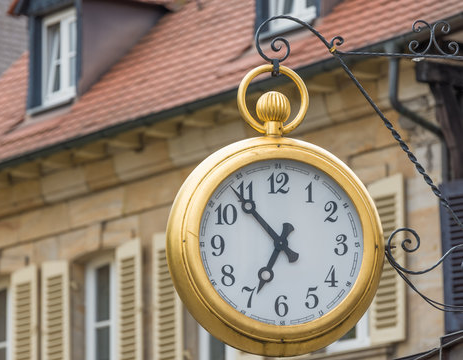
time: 6:53
